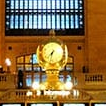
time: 7:32
